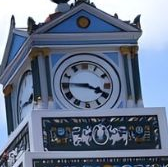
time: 3:45
